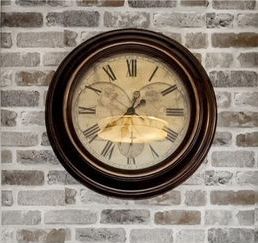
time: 12:38
